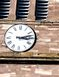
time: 3:12
